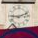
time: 9:11
